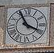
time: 3:55
